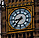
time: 8:36
